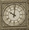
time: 10:00
